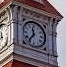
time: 11:36
